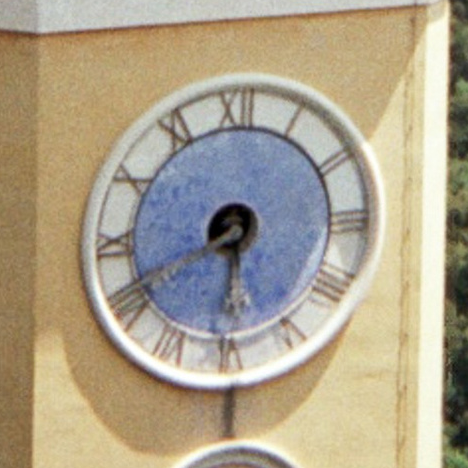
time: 6:41
